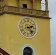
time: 2:23
